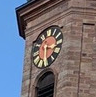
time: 3:29
